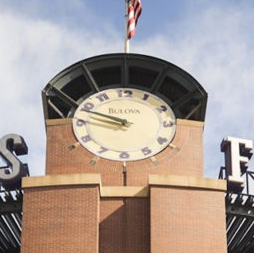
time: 9:48
